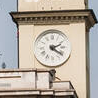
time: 2:21
